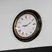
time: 9:11
